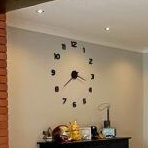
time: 3:39
